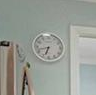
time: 6:42
